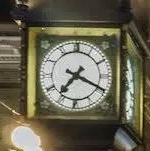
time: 7:19
